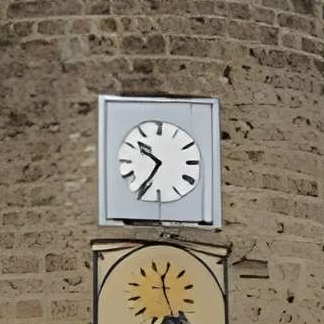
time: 10:35
